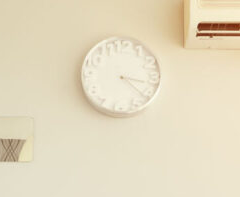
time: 3:21
